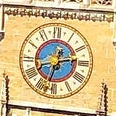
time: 12:13
